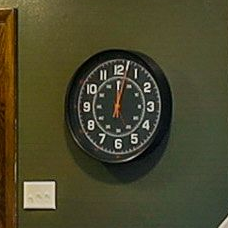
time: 12:02
